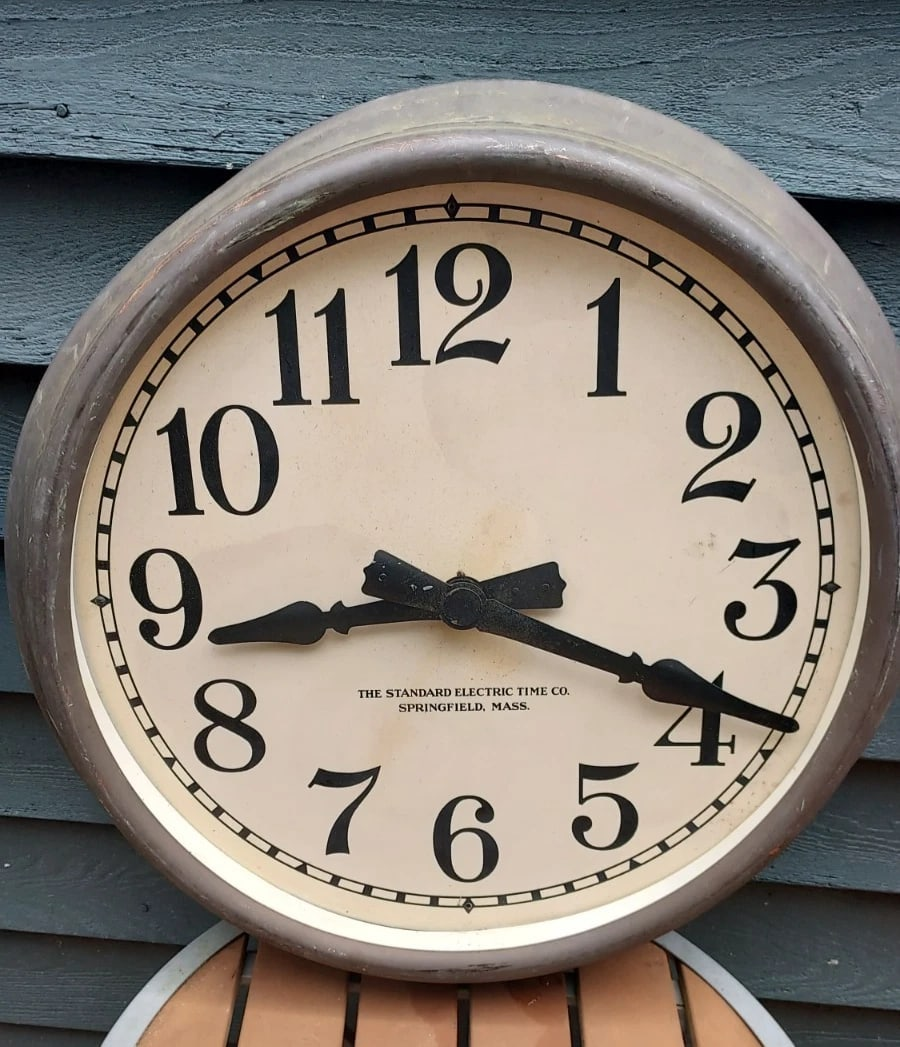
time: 3:43
